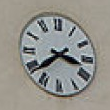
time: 3:38
